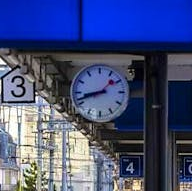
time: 1:42
